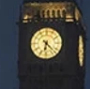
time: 6:22
